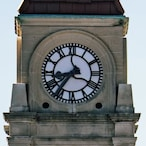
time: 8:36
